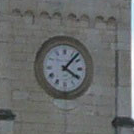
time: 4:07
